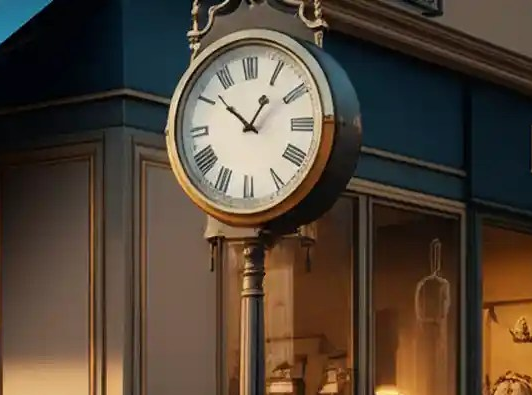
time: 12:51
